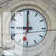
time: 8:59
